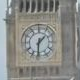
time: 1:30
